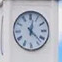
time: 12:22
